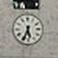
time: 5:33
